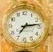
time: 7:13
